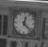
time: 12:22
